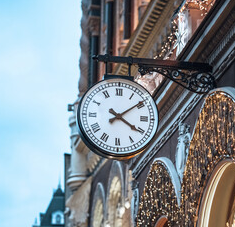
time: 4:09
